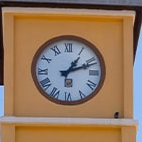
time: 1:11
